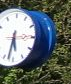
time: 5:32
